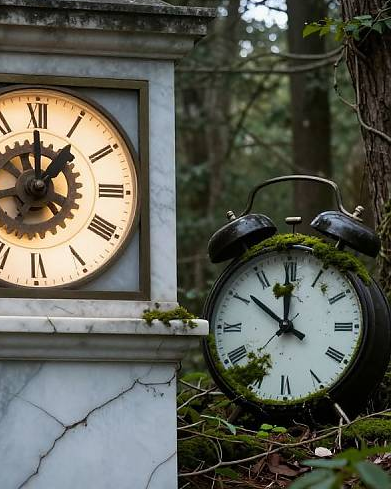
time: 11:51
